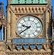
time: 9:39
